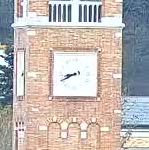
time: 8:40
